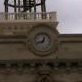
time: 12:41
